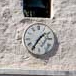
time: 1:35
